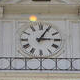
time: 3:04
